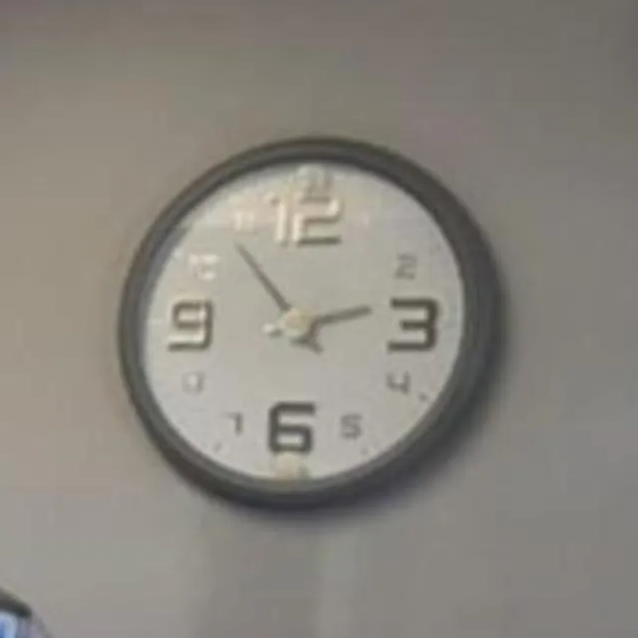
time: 2:53
